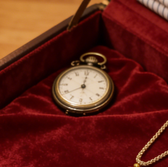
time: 12:00
